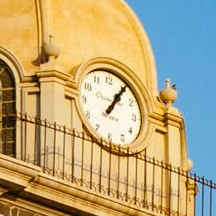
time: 1:06
